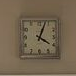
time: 4:03
